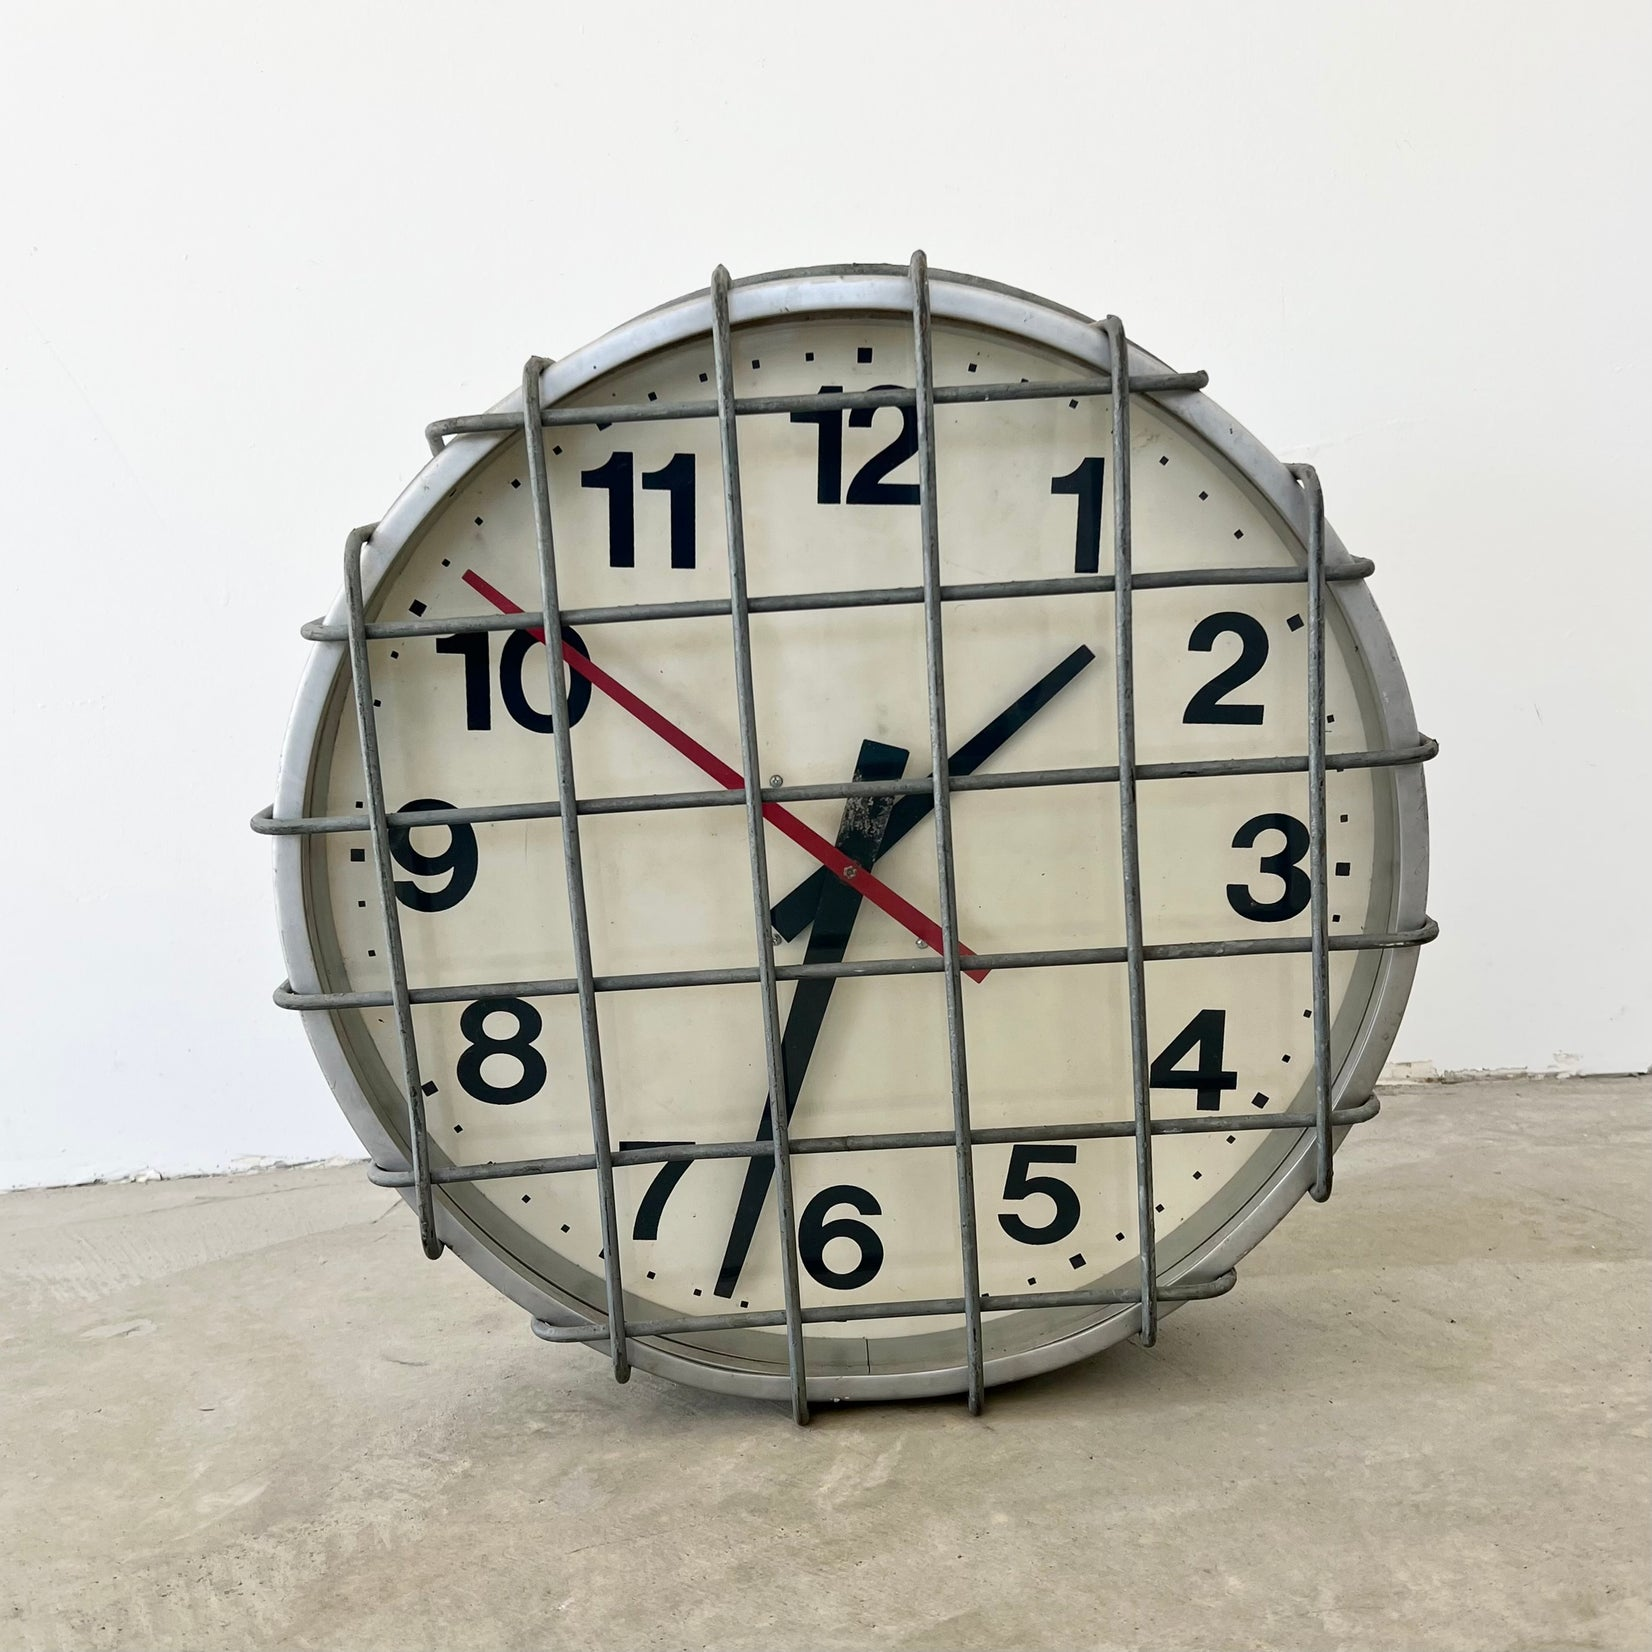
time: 1:32
